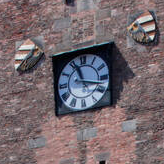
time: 11:17
